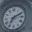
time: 7:10
